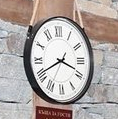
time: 3:40
